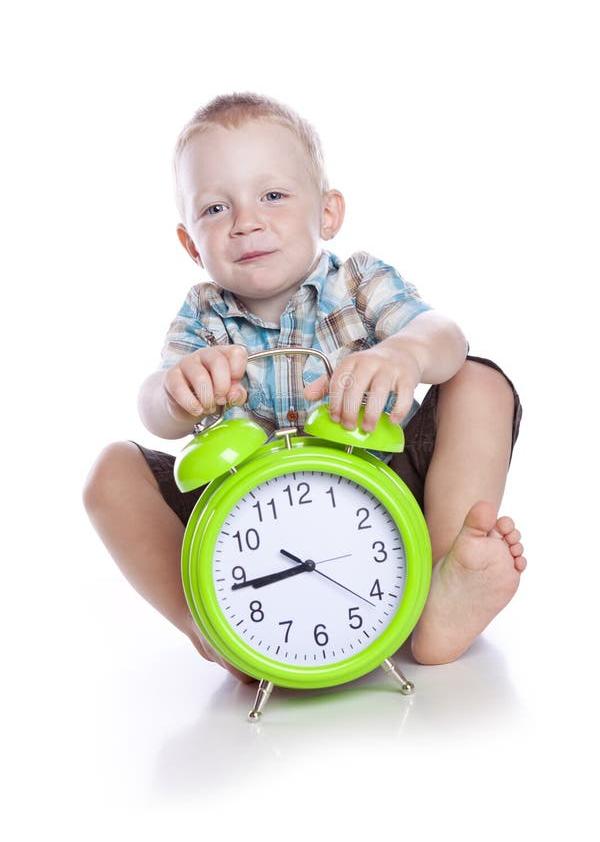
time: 8:44
